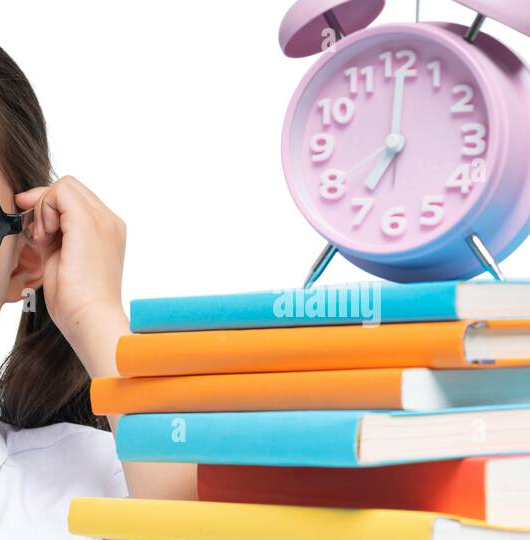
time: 7:00
